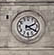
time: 2:19
